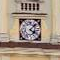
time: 4:07
